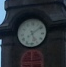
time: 5:08
